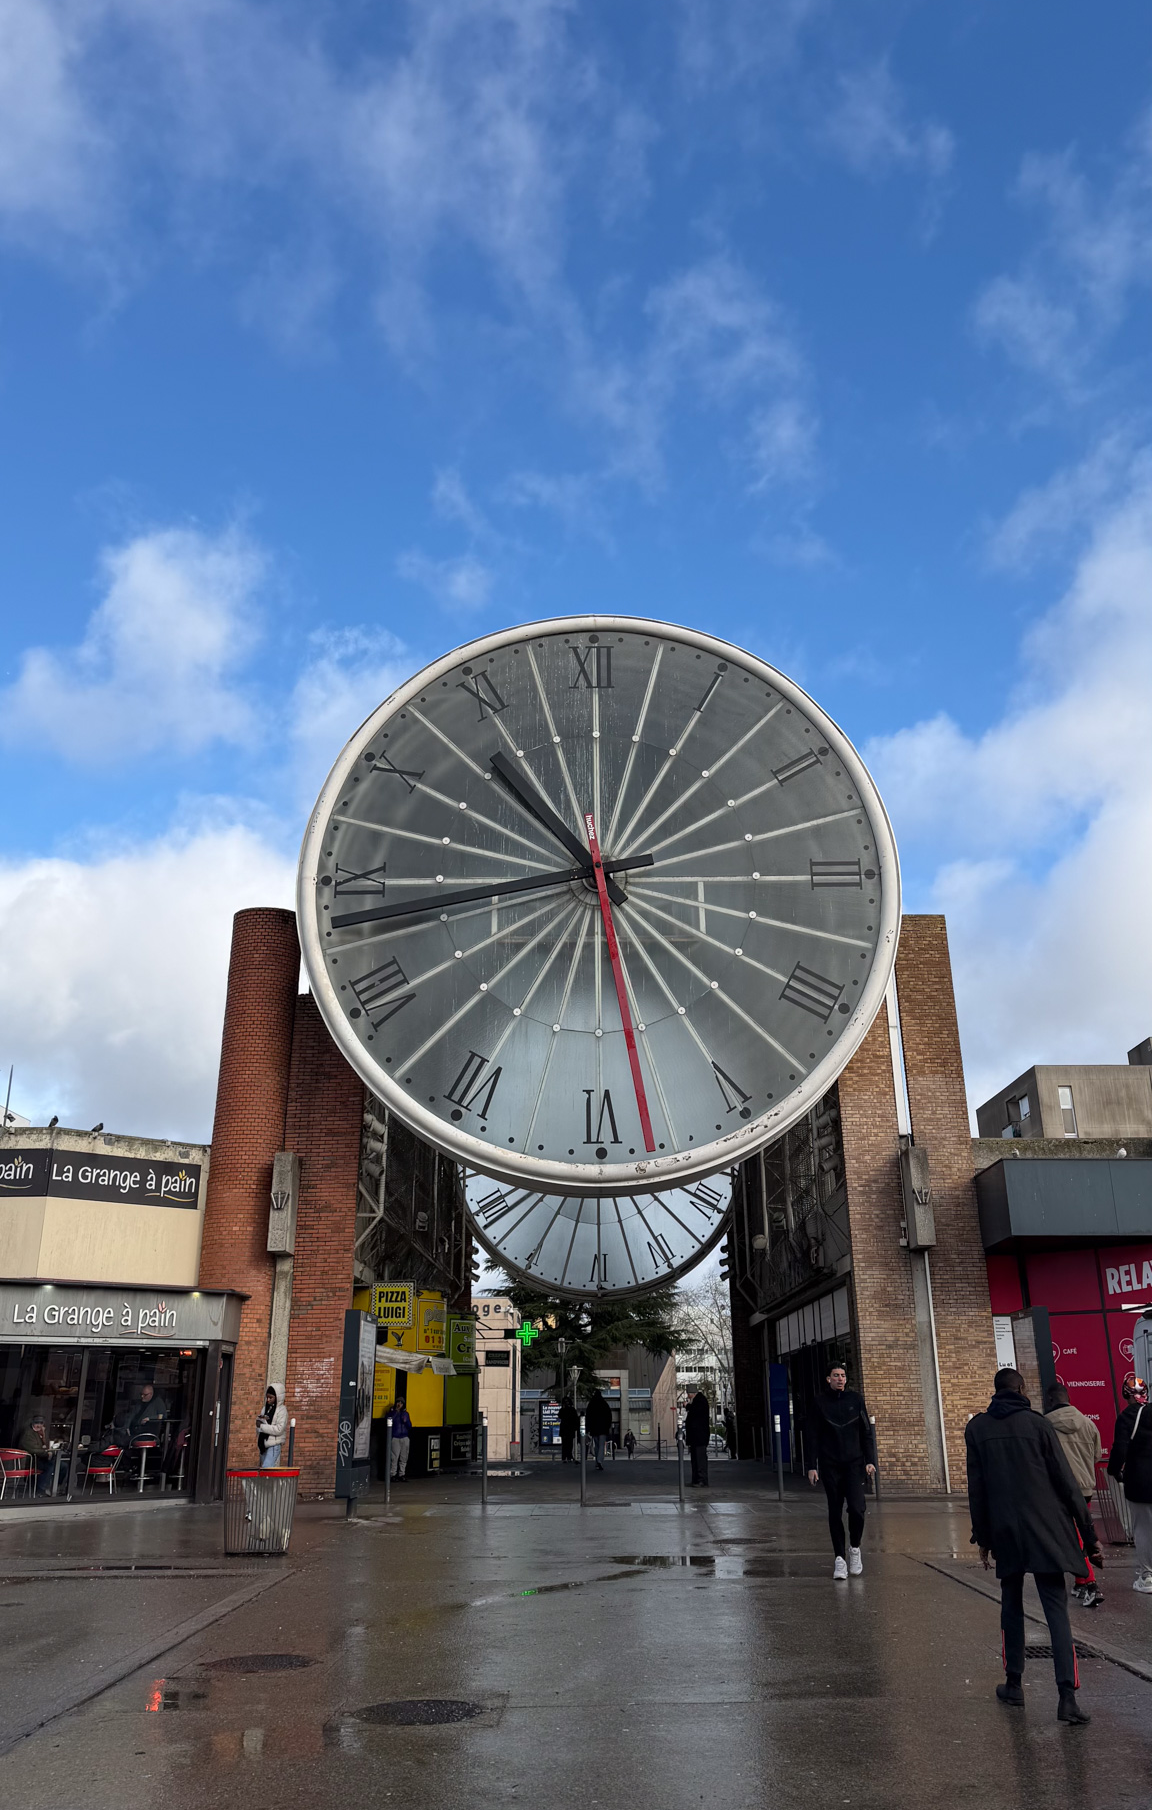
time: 10:43
